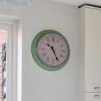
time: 10:25
